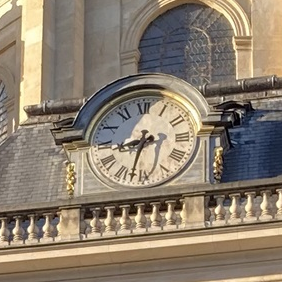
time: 8:32
